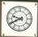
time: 9:40
